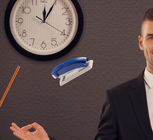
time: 12:04
